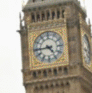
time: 4:44
